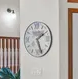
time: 1:26
